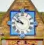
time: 9:53
